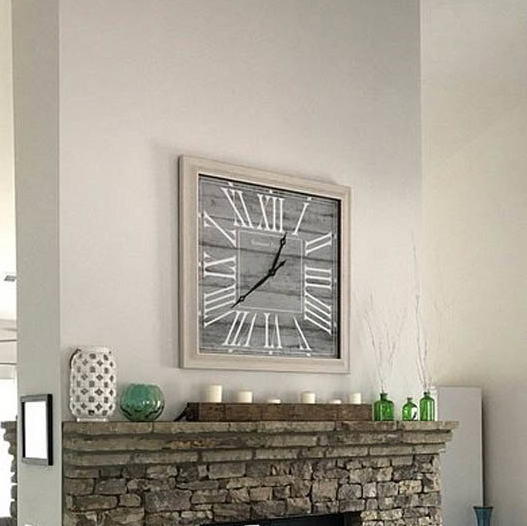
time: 12:38
